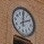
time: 2:00
